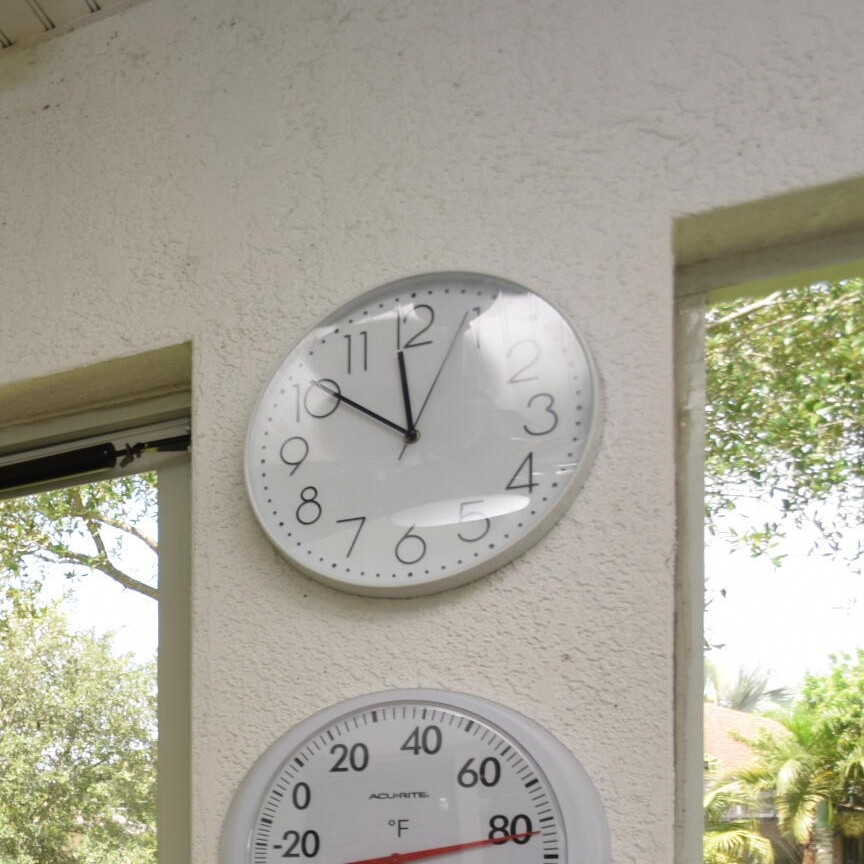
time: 11:50
